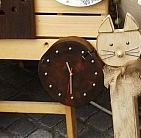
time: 11:30
